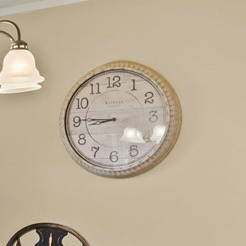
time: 8:45
